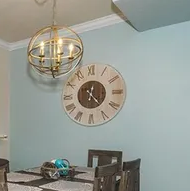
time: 12:23
